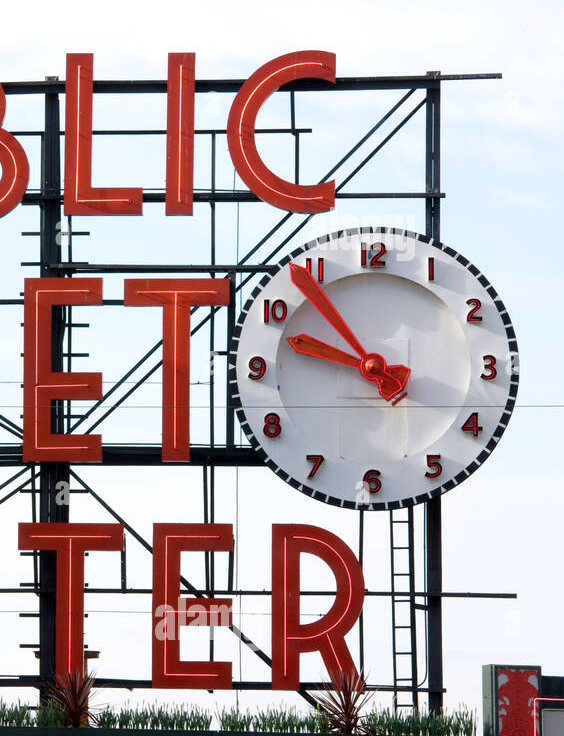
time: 9:53
